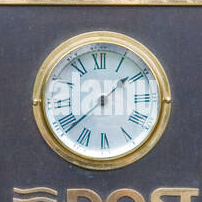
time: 1:38
